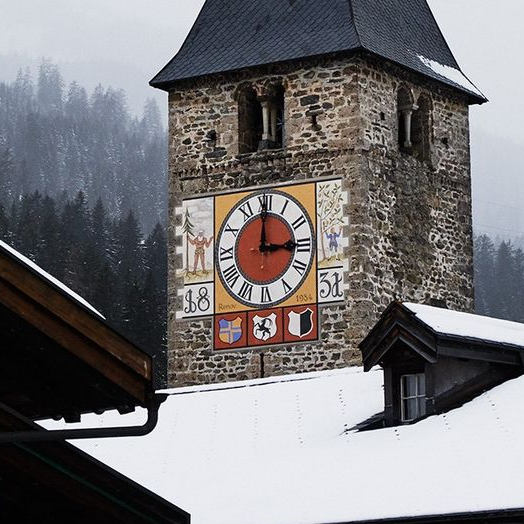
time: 3:00
